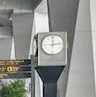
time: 12:13
